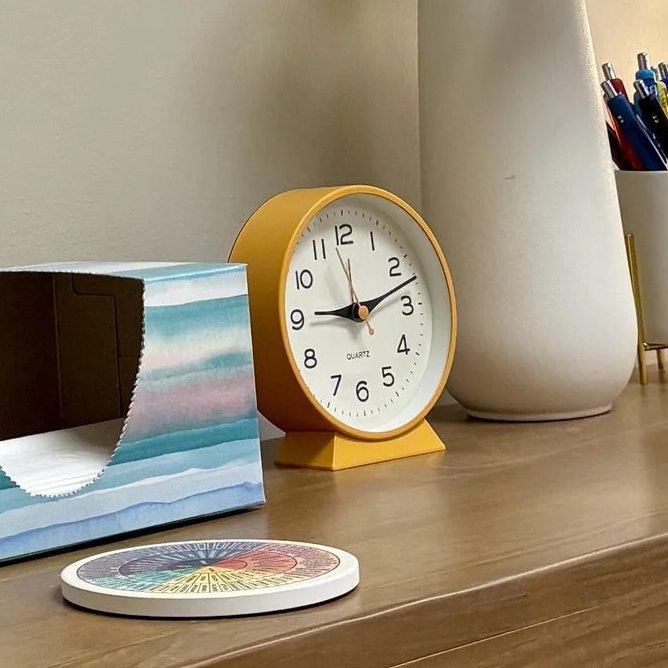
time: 9:12
